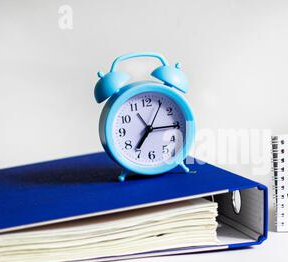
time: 7:15
